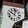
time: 10:02
